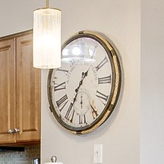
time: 1:35
